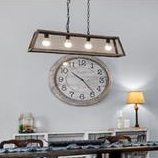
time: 10:23
